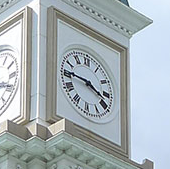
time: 3:45
